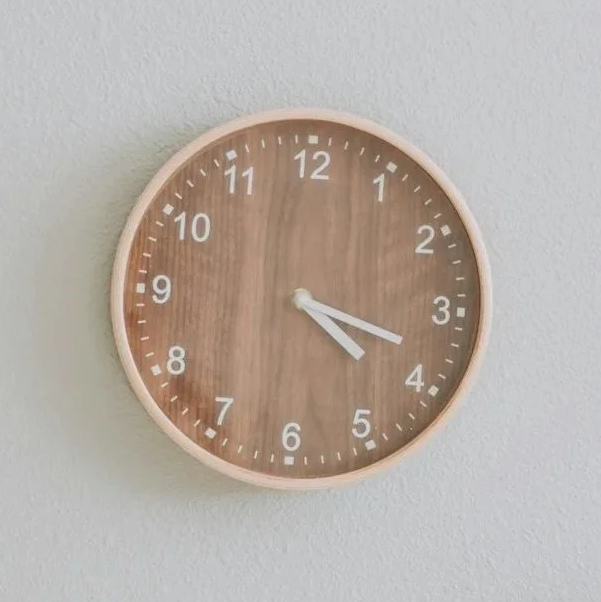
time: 4:18
